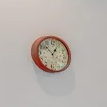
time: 12:52
